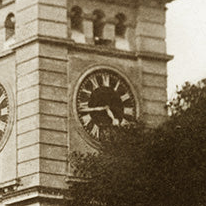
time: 4:42
